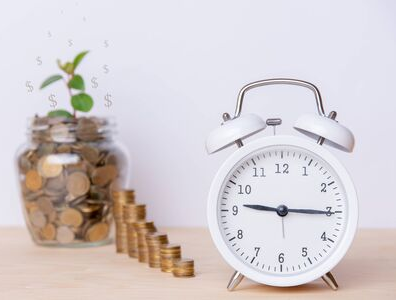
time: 9:15
